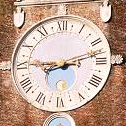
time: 9:12
